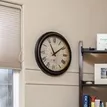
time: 11:08
